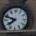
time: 7:48
